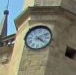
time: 4:09
